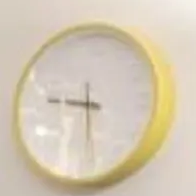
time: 9:28
